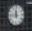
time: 11:45
